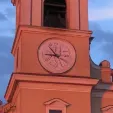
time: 10:45
